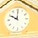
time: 10:00
